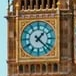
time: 1:22
